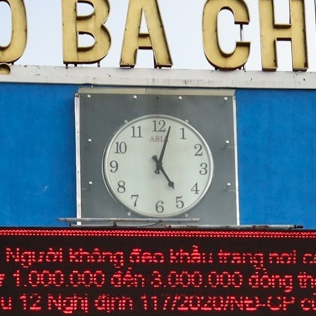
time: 5:02
